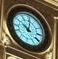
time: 10:00
